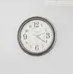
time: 4:12
